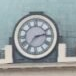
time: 2:36
